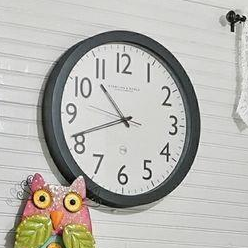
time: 10:41
